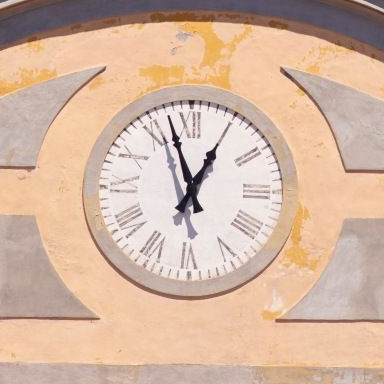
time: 12:57
